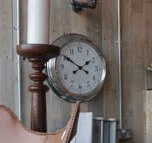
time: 1:50
